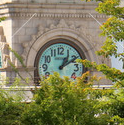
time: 1:09
